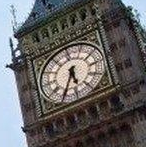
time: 5:34
